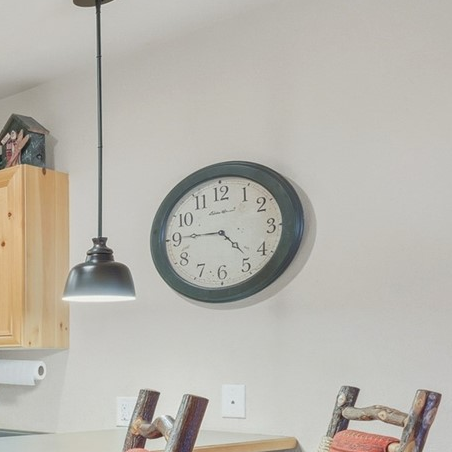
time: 4:45
